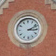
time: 3:11
